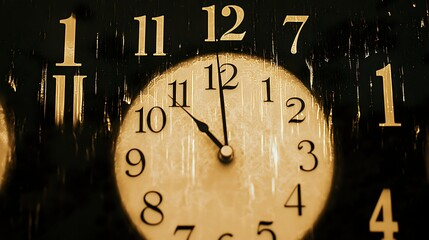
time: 10:59
